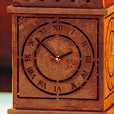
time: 1:52
